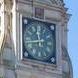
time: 11:42
